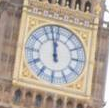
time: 11:57
